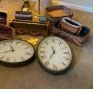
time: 11:35
